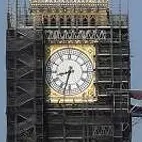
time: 8:32
